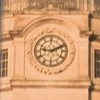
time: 9:11
